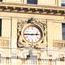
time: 2:45
